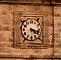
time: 4:17
